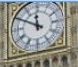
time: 11:49
